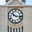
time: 10:16
